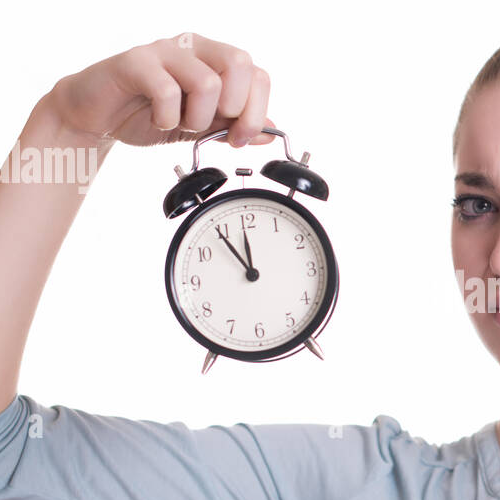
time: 11:54
